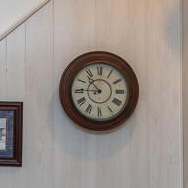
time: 10:45
